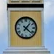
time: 1:22
